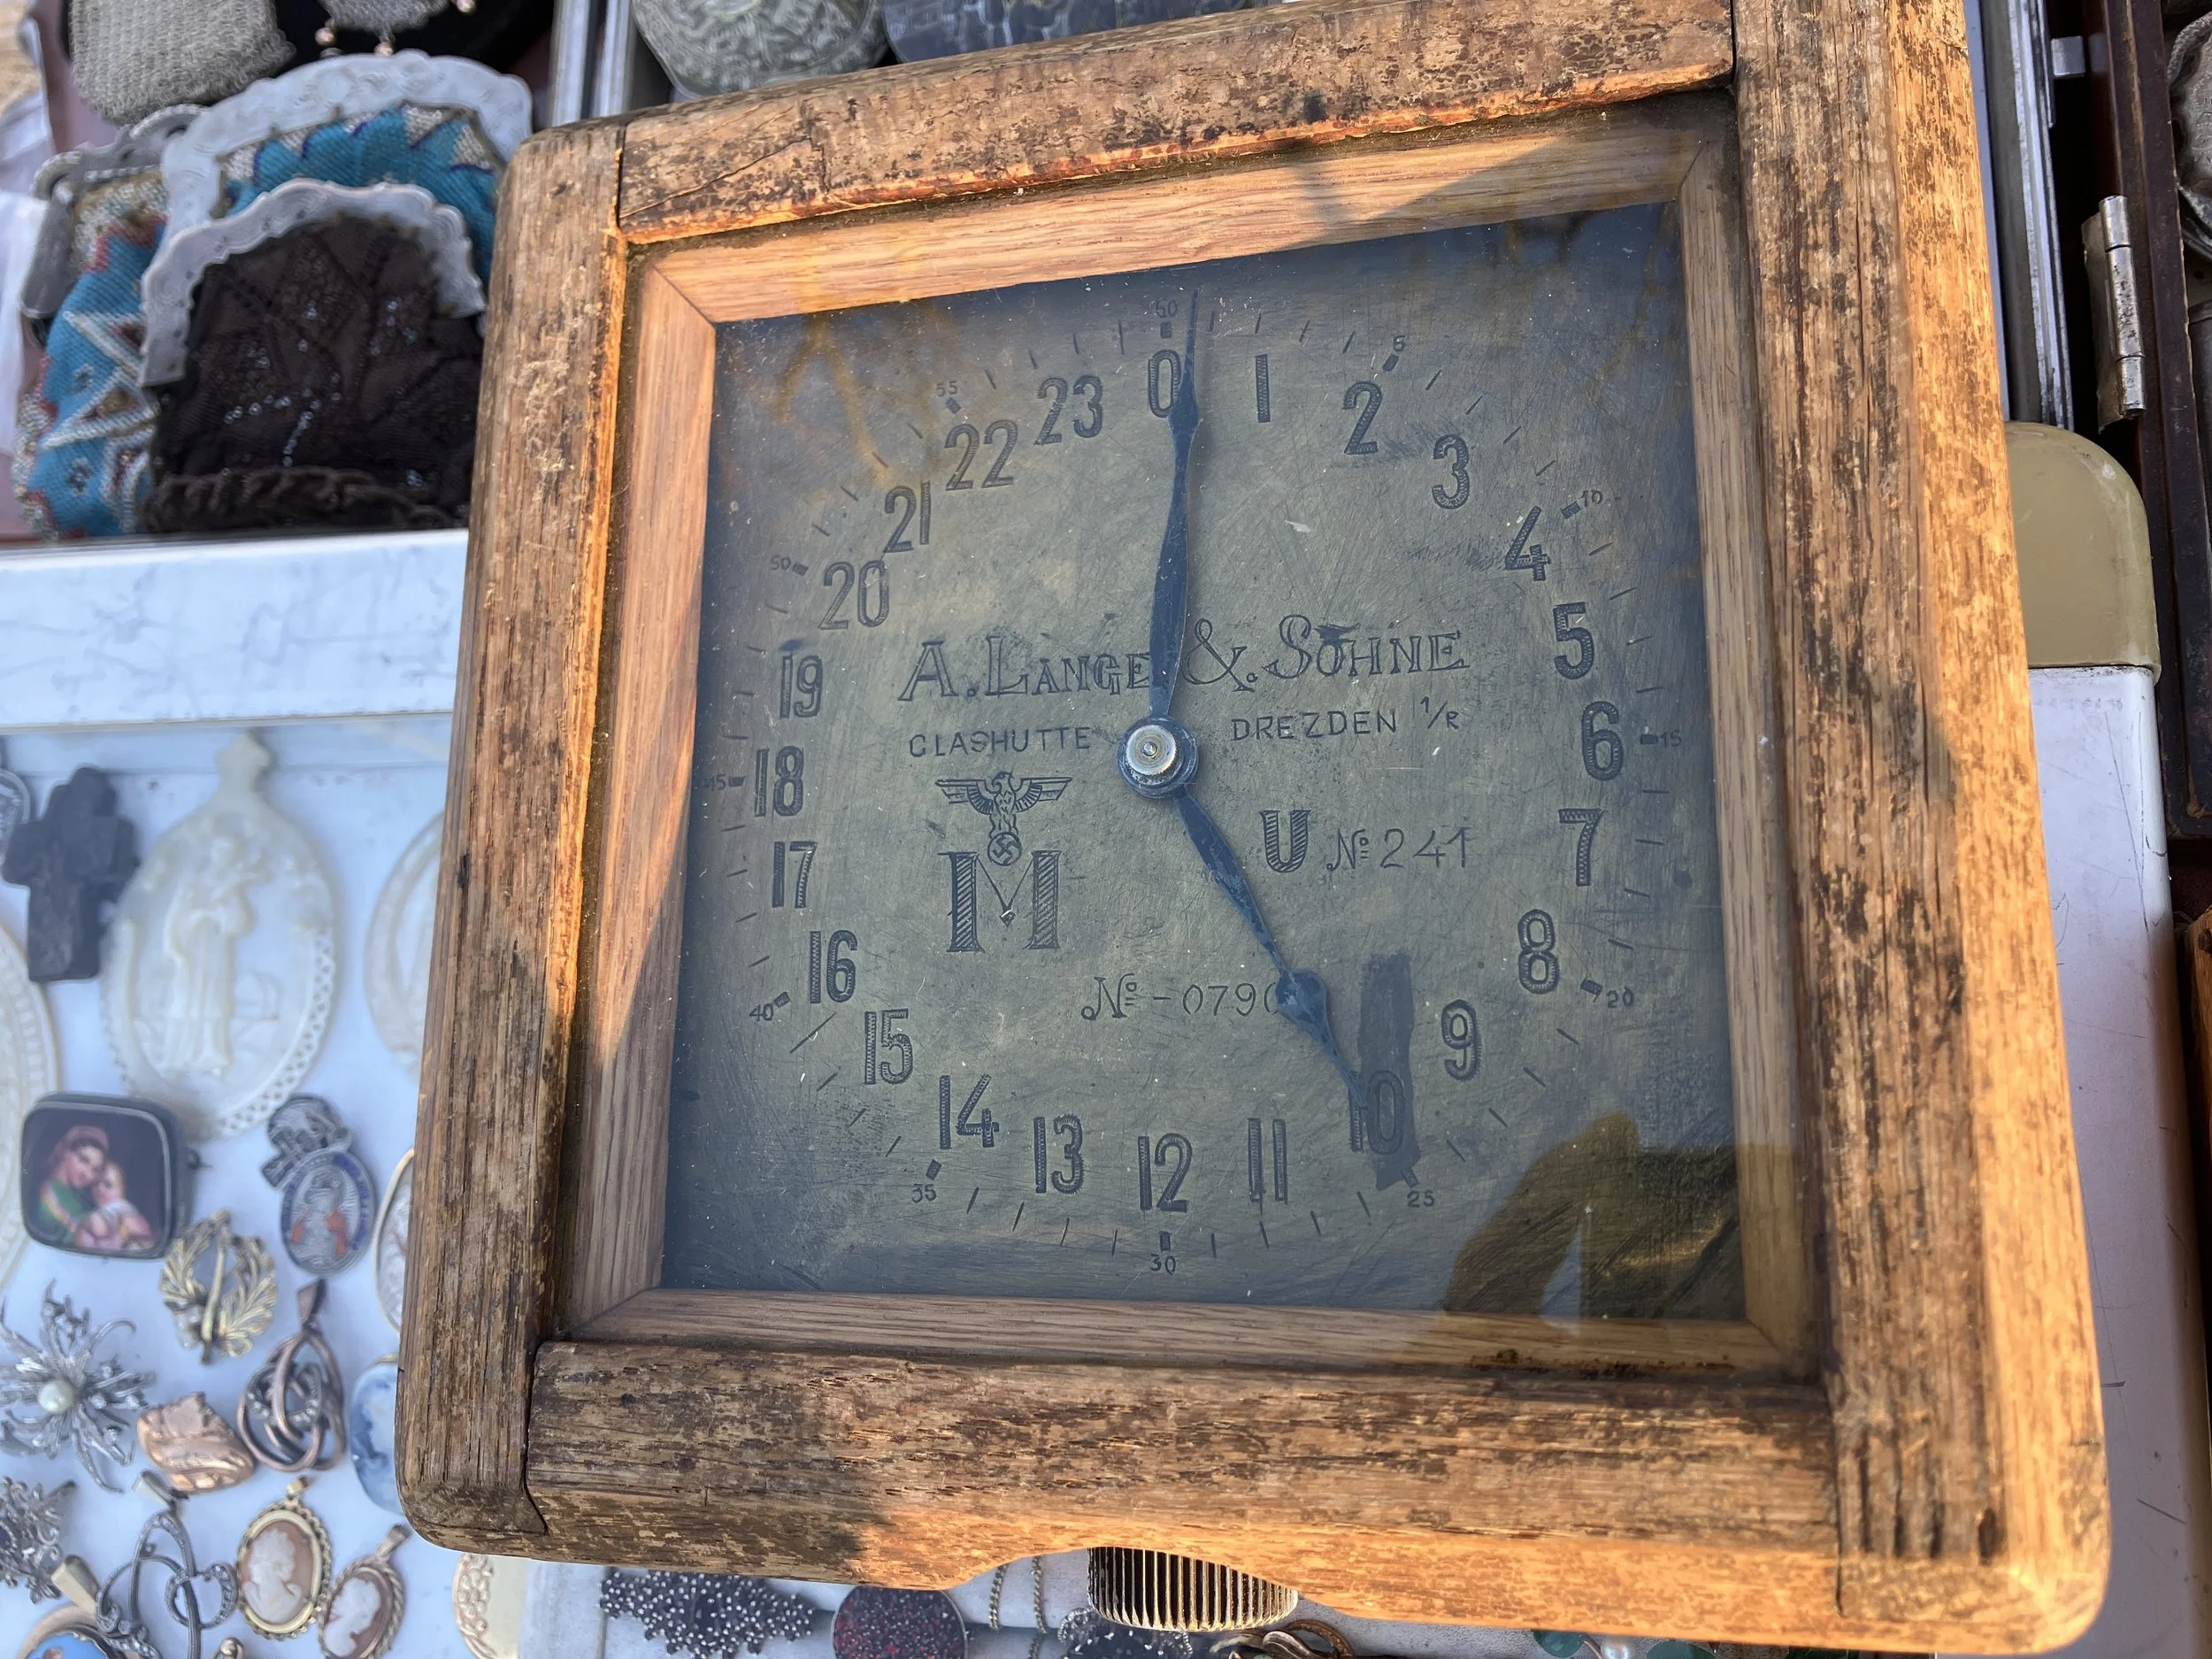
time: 5:00
